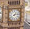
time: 1:13
